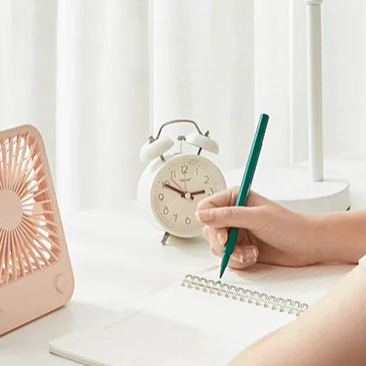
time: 2:49
